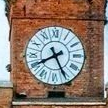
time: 8:25
